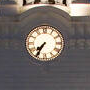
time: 7:35
